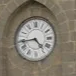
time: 4:43
